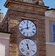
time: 11:41
